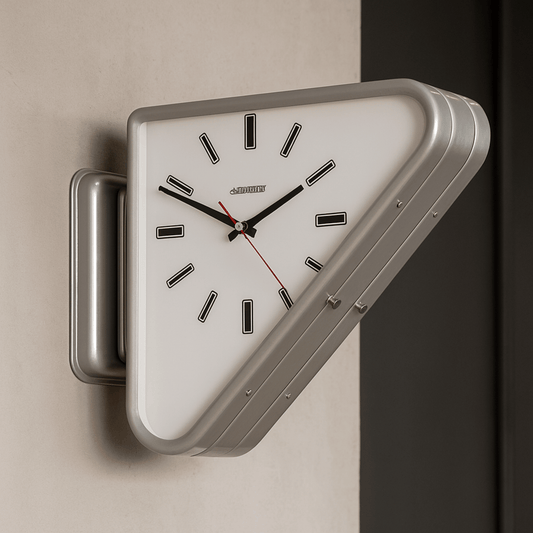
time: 1:49
